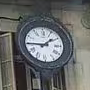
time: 1:45
